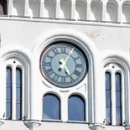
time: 5:05
